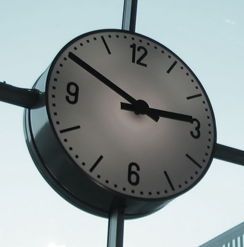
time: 2:49
